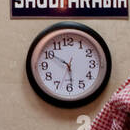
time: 5:50
